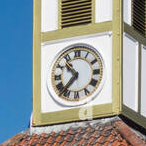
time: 10:37
